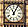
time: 11:05
